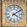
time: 4:09
